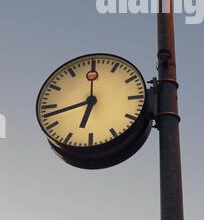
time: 6:42
